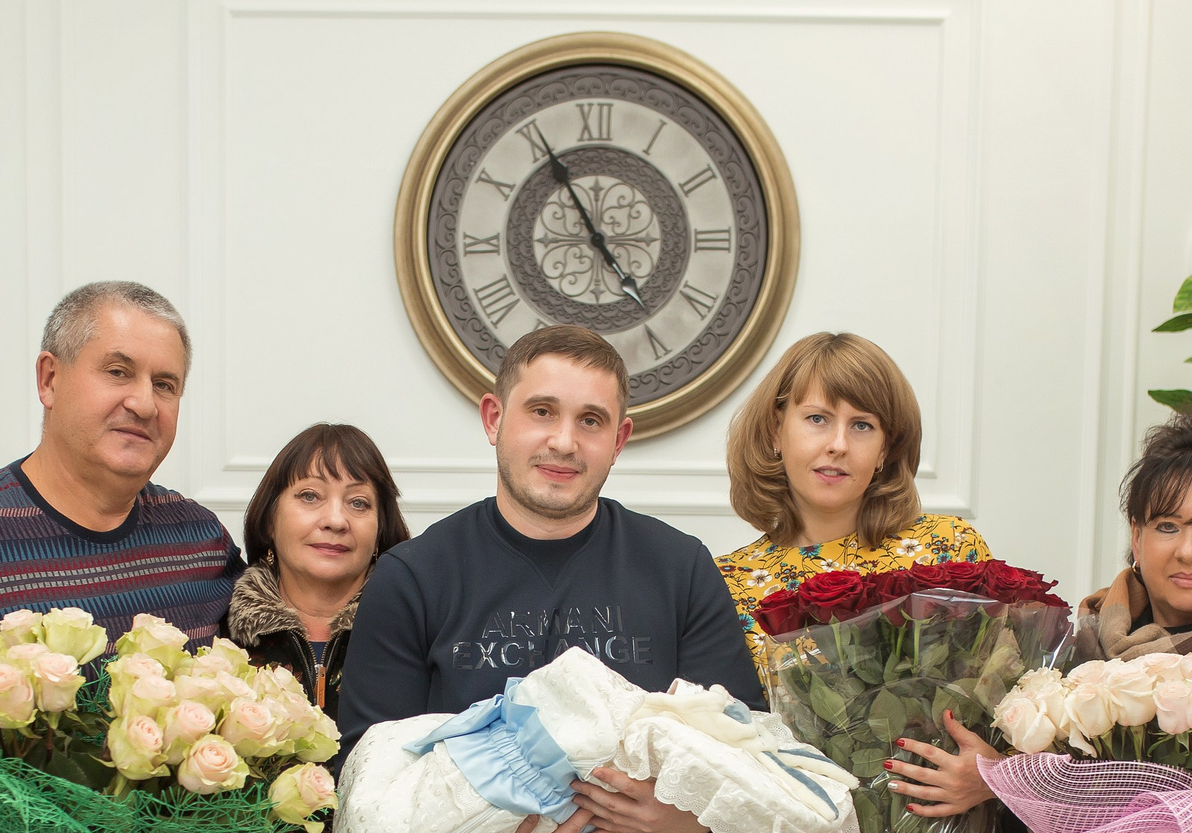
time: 4:55
